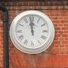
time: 11:58
